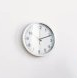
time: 2:11
